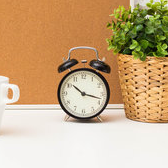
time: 10:17
